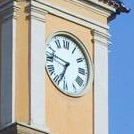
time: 6:47
